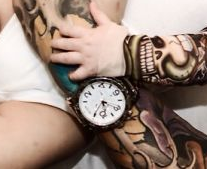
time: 5:35
